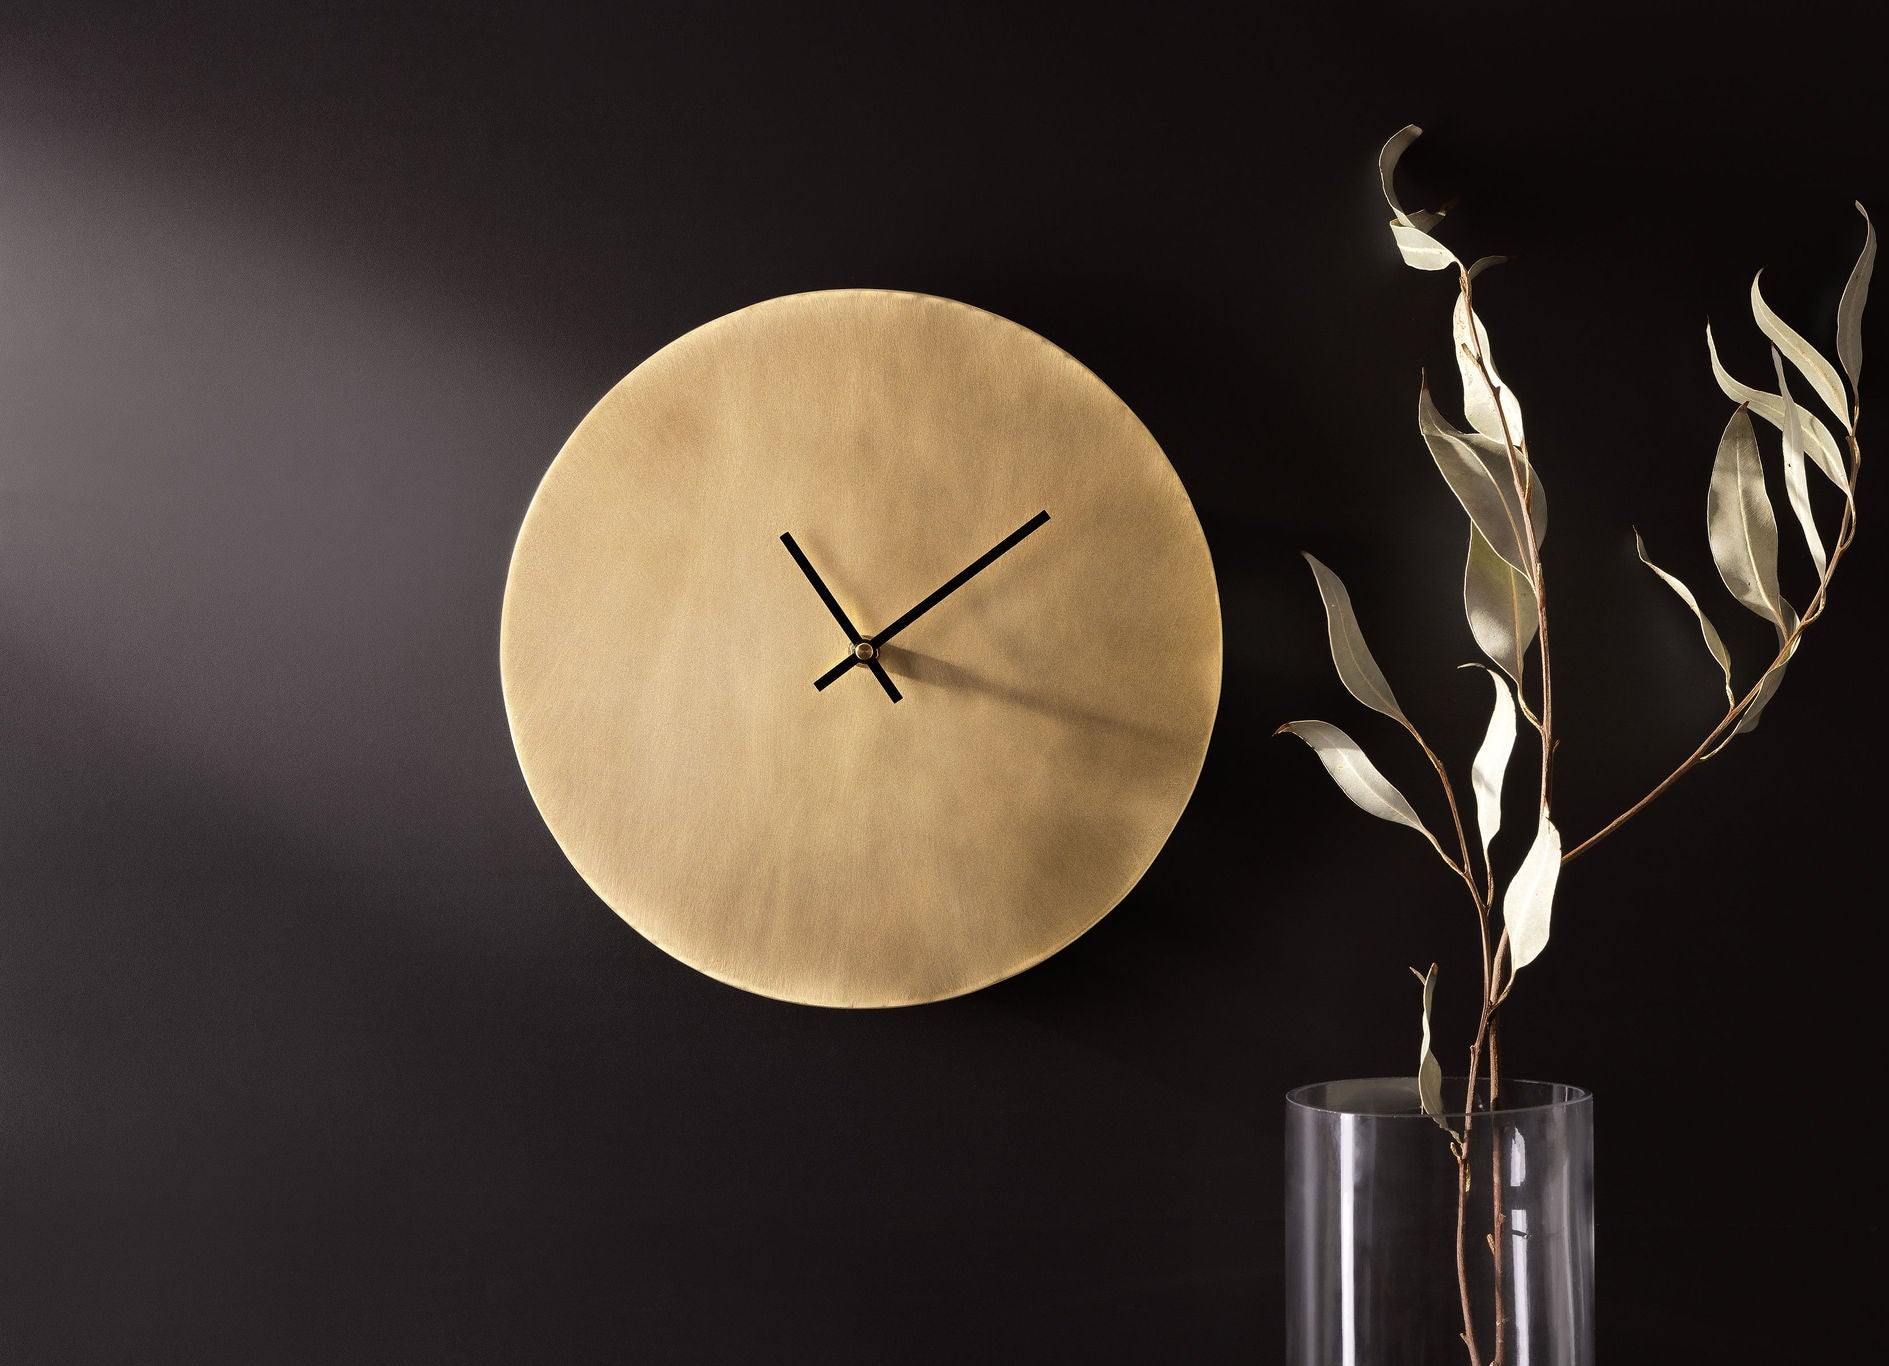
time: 11:09
